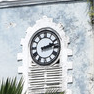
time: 2:13
